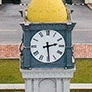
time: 2:29
